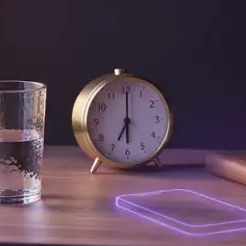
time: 7:00
